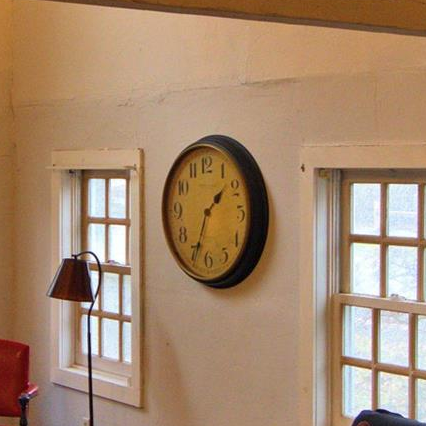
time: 1:34
